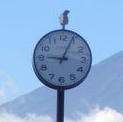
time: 9:04
